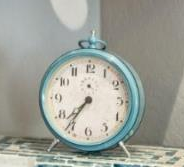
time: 7:36
